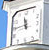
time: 11:44
